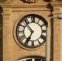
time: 6:53
